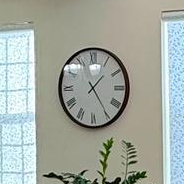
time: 1:24
